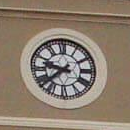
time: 9:38
